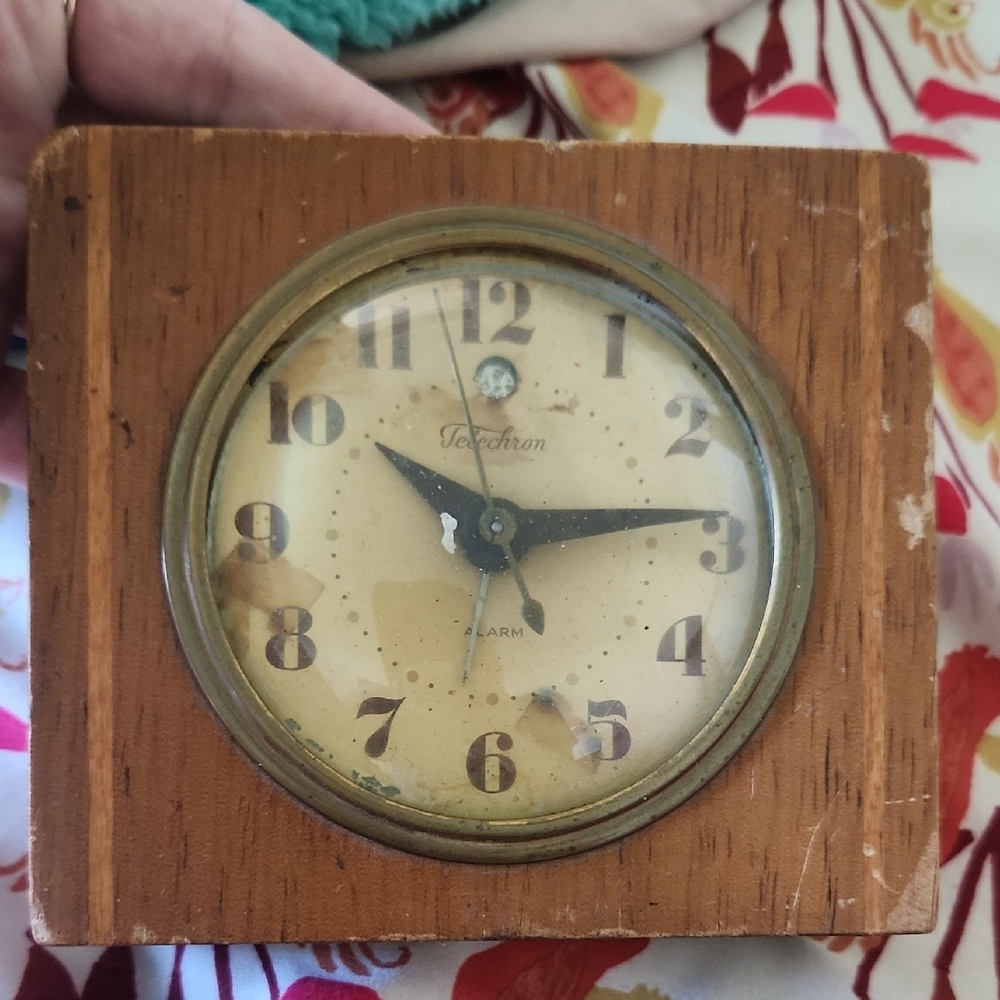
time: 10:13
